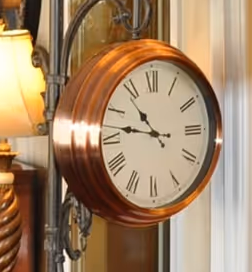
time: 10:46
